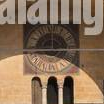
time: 2:44
